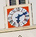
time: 6:11
